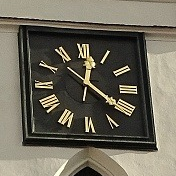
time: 12:21
